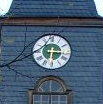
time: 6:15
